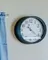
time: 4:21
